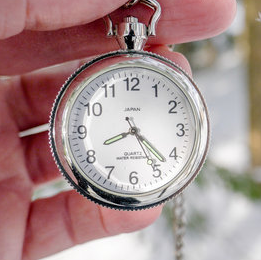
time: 8:22
